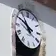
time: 10:50
